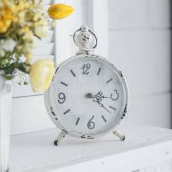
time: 3:21
